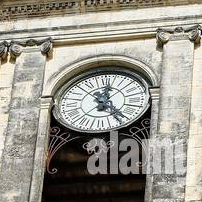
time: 12:23
